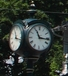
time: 11:16
